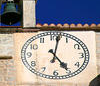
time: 5:01
